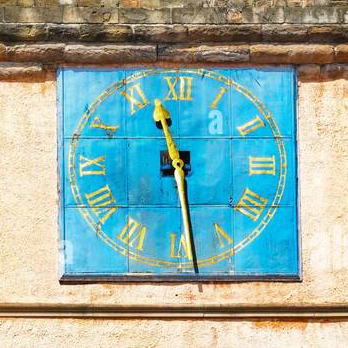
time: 11:28
